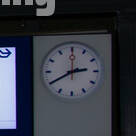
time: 2:40
